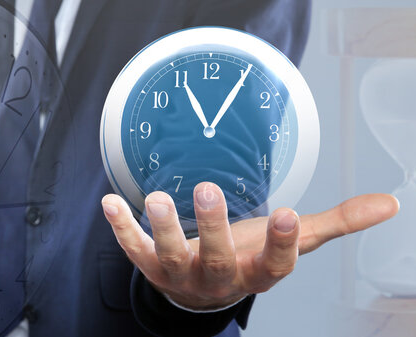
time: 11:05
